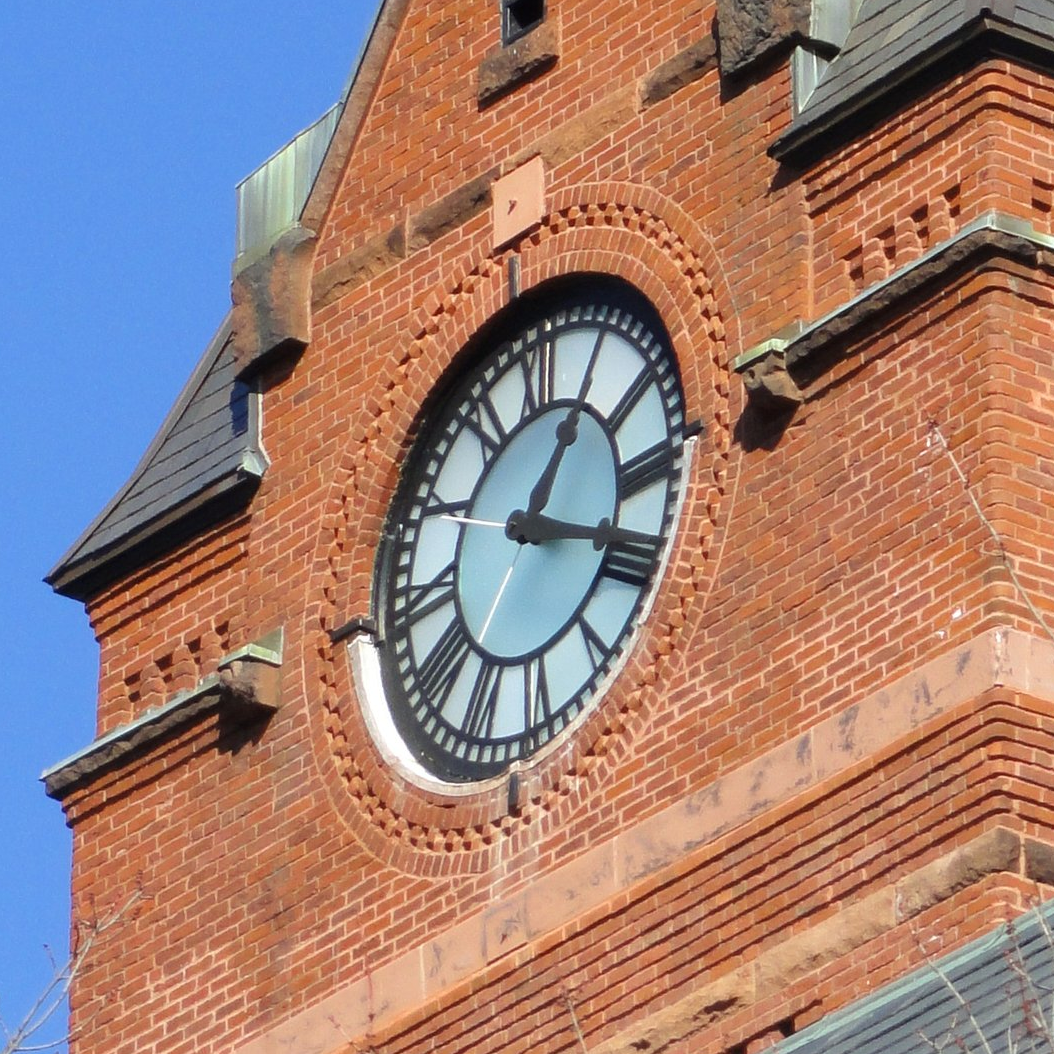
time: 1:18
